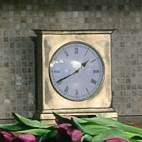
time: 1:40
